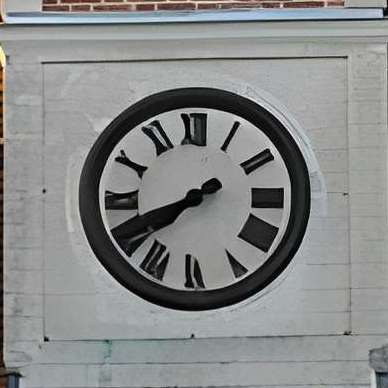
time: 7:40
